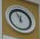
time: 11:56
